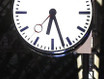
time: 6:27
